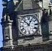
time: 12:52
